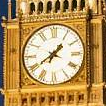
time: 1:39
